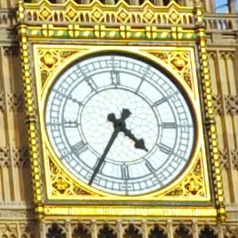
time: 4:35
